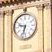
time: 9:33
